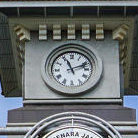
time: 11:11
